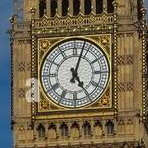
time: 5:03
